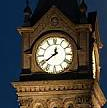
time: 12:38
